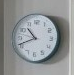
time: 10:41
